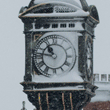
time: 10:46
